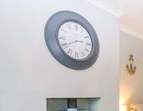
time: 2:40
